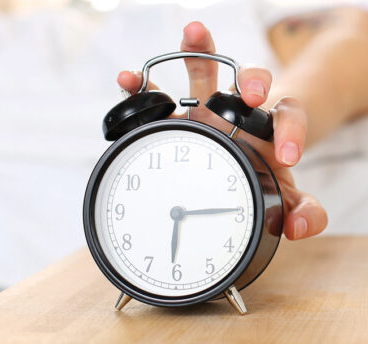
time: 6:14
